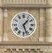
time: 1:26
